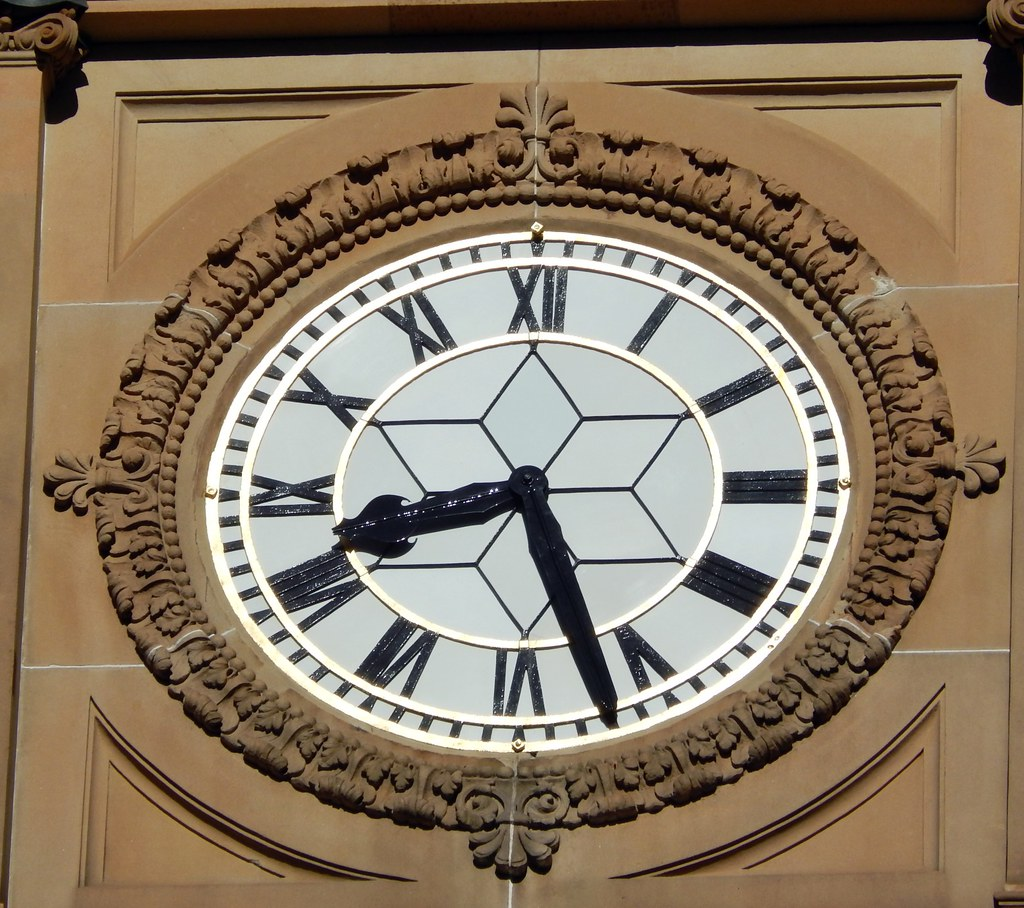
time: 8:26
